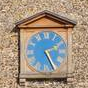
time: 2:25
